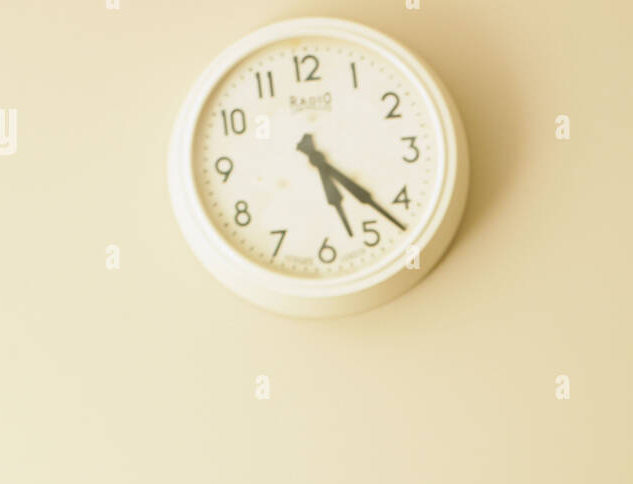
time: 5:22
